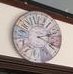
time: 2:18
